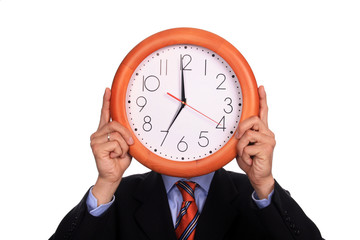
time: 6:59
